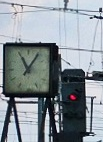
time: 11:05
